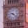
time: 9:22
